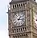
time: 1:16
